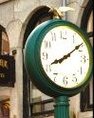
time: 8:09
